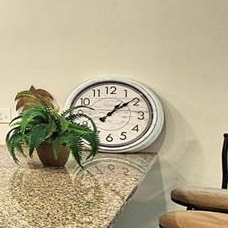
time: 1:08
